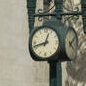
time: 12:42
